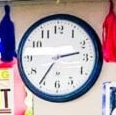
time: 2:35
